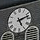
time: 5:12
